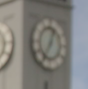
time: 12:34
